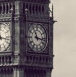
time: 11:16
